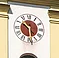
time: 10:28
